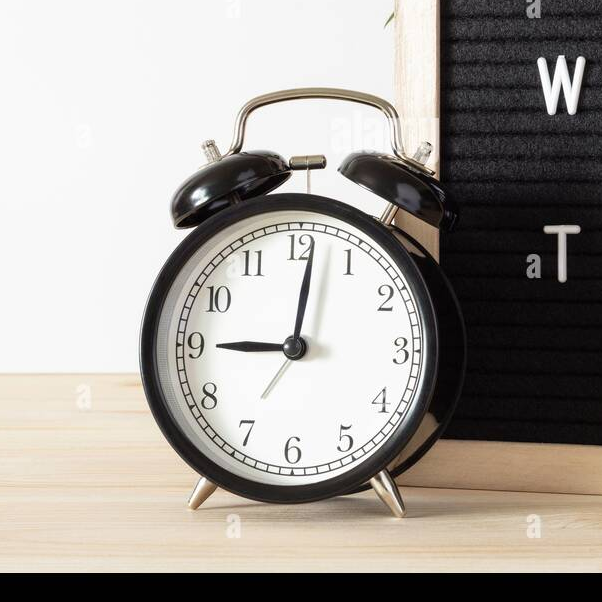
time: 9:01
